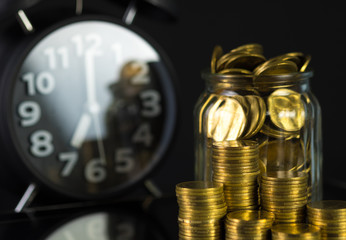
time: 6:00
